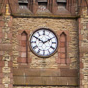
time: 1:50
